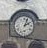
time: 2:03
